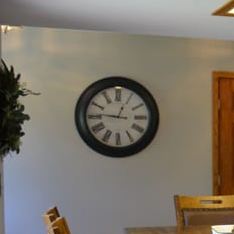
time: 12:46
